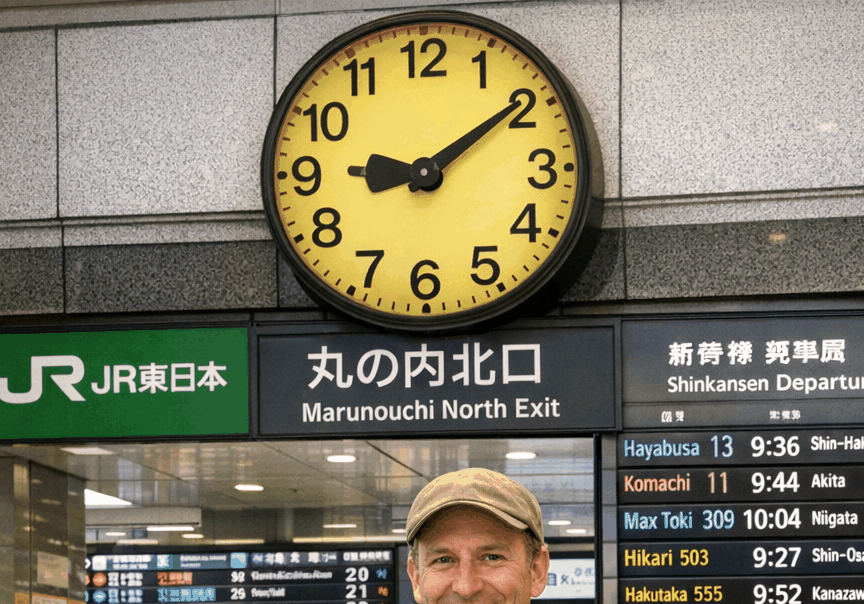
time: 9:09
